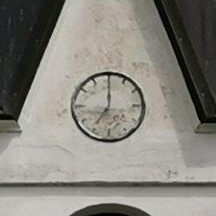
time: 7:00
